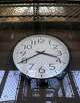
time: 3:40
